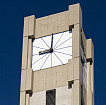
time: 9:01
